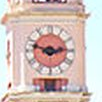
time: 2:48
